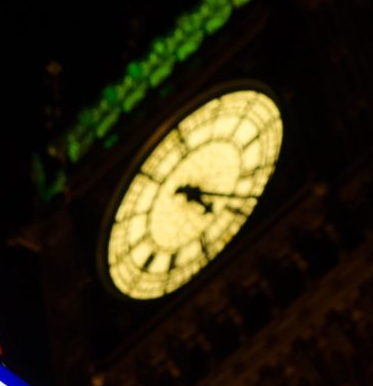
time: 4:18
